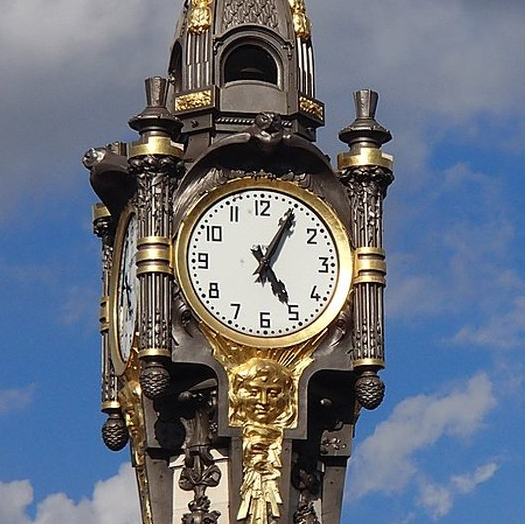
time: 5:05
